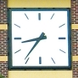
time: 8:36
